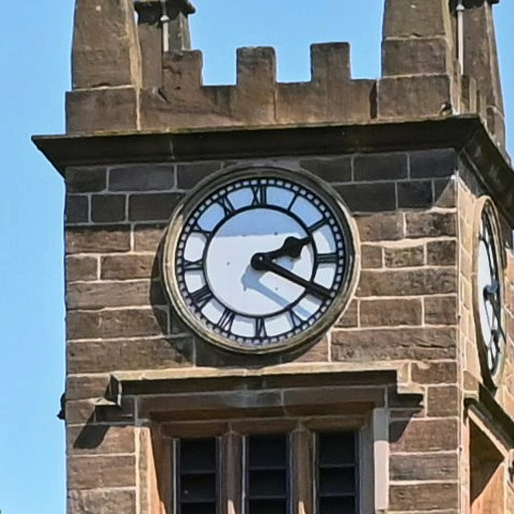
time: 2:19
